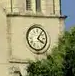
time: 4:06
